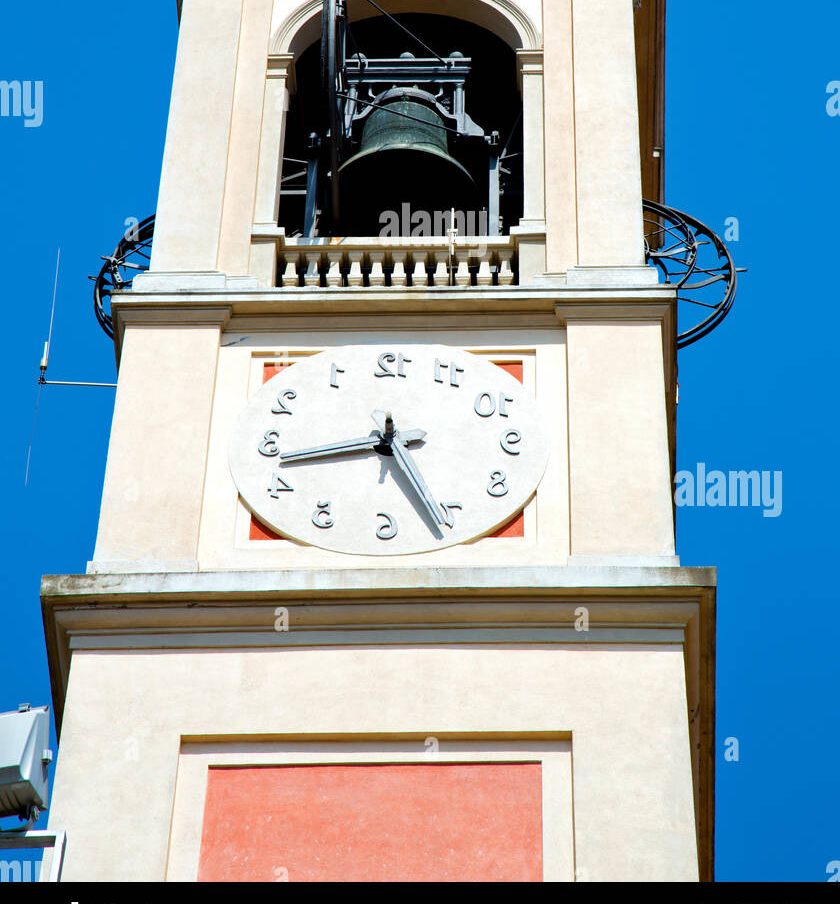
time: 8:26
